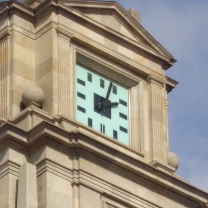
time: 2:03
